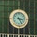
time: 3:24
